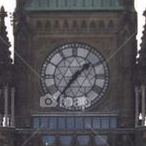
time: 1:36
